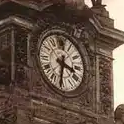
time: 3:31
